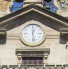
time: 12:28
